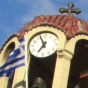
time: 6:56
